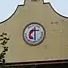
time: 12:28
